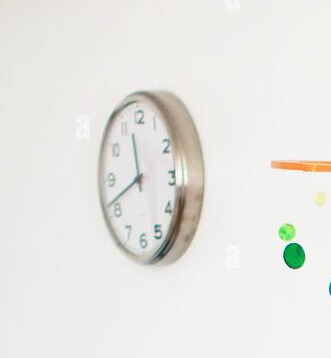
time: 11:41
